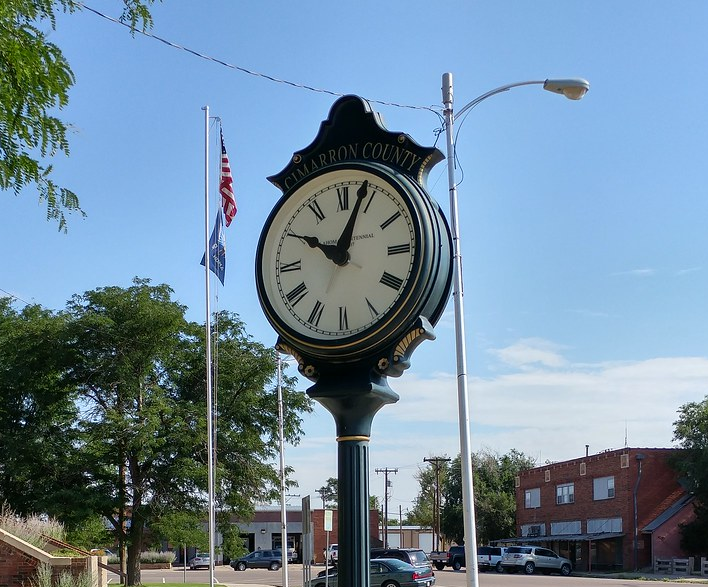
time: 10:03
